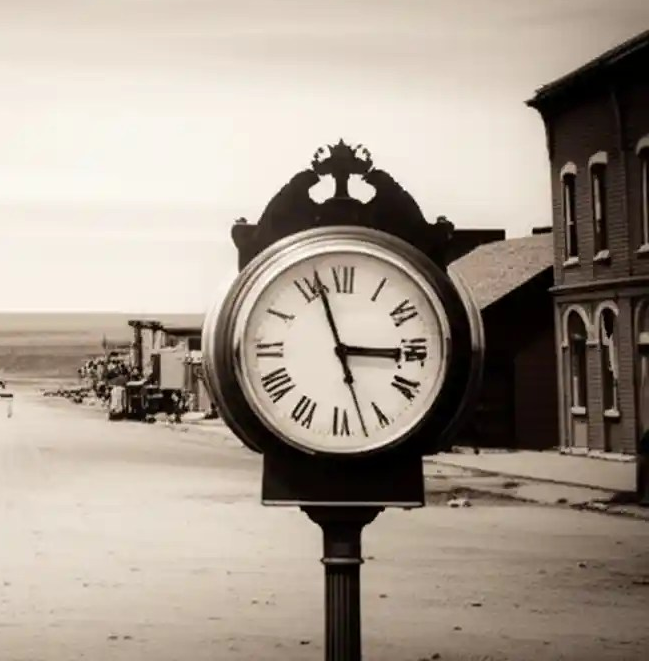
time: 2:57
